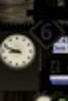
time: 8:48
